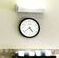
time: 4:38
